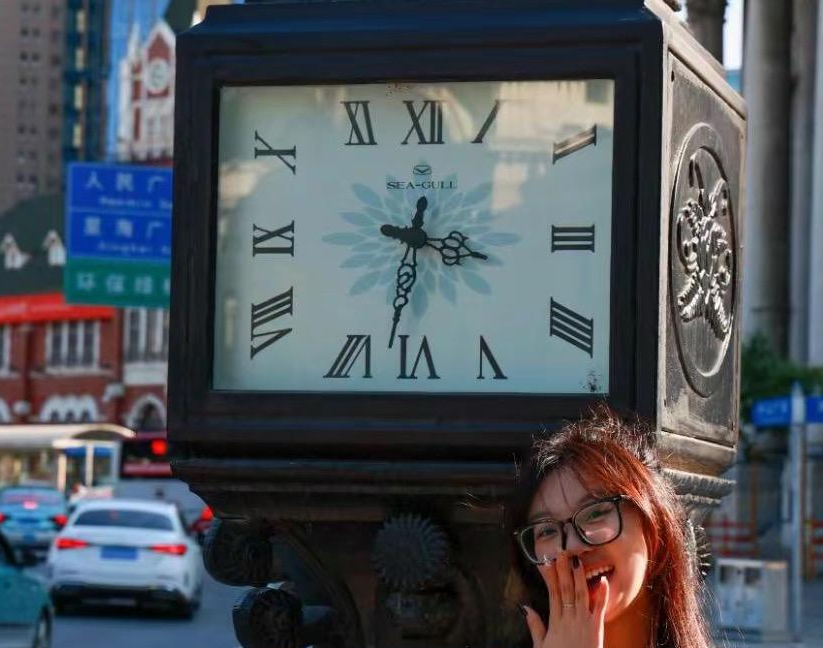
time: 3:32
